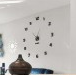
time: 12:51
